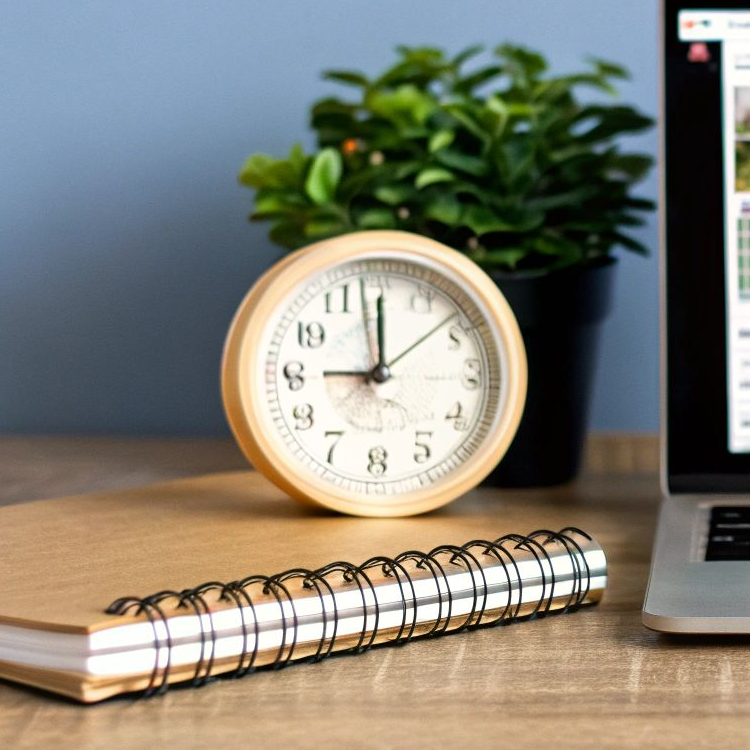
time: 9:00
